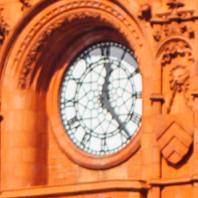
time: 12:23
